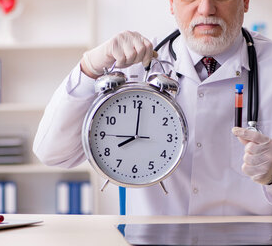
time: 8:00
